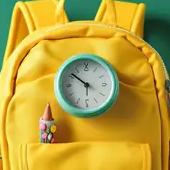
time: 5:51
